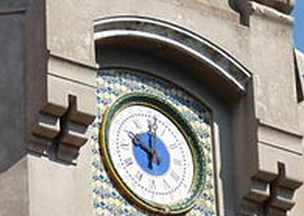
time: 10:00
